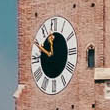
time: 11:49
